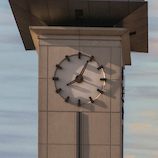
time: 8:04
